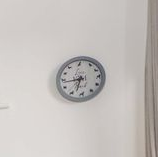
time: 6:43
